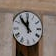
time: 11:53
